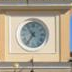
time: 10:36
